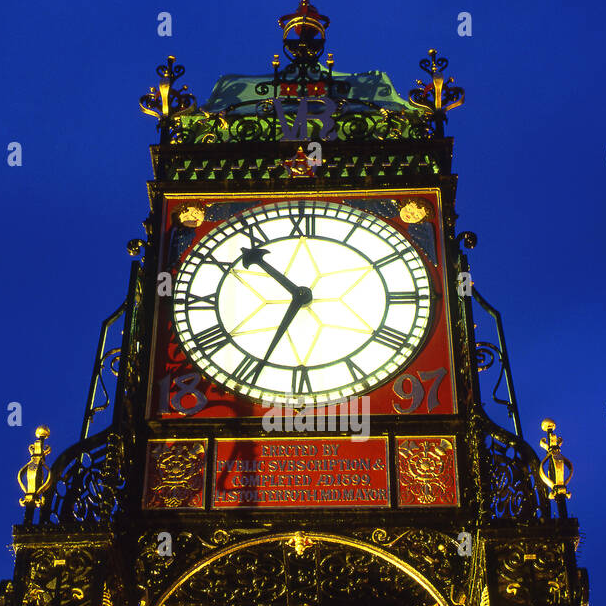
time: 10:34
